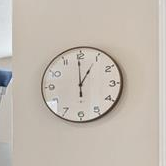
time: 12:59
